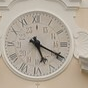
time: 5:19
